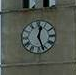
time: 12:26
